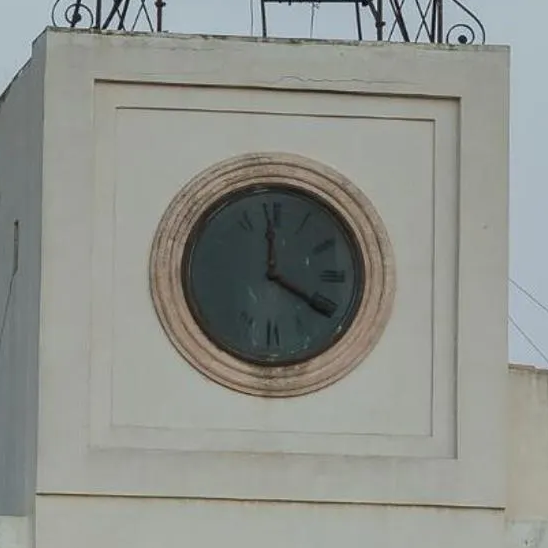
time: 3:59
